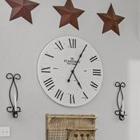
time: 5:04
